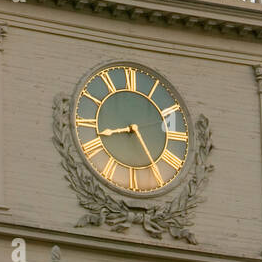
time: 8:24
